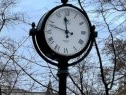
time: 11:47
